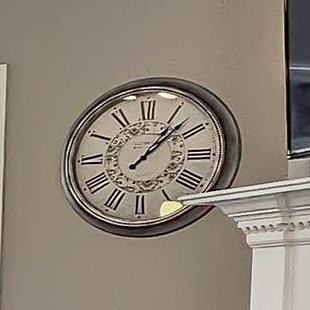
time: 1:07
